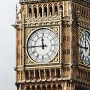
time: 11:45
